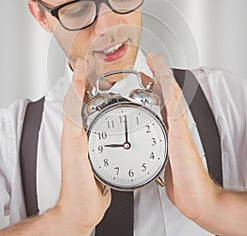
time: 9:01
